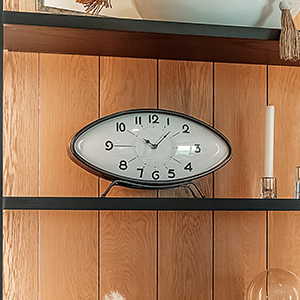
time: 11:07
